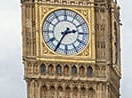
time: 2:35
